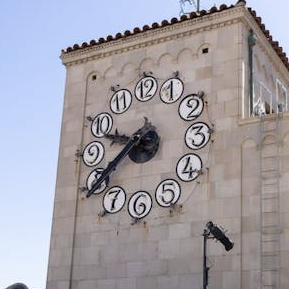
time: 9:39
